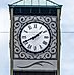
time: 1:41
